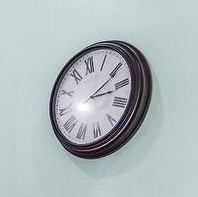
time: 3:10
